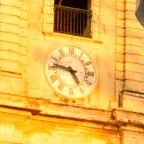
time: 4:46
